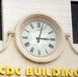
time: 3:02
